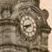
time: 8:38
